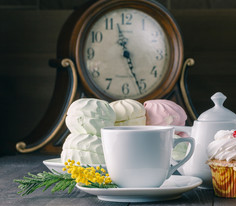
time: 11:25
